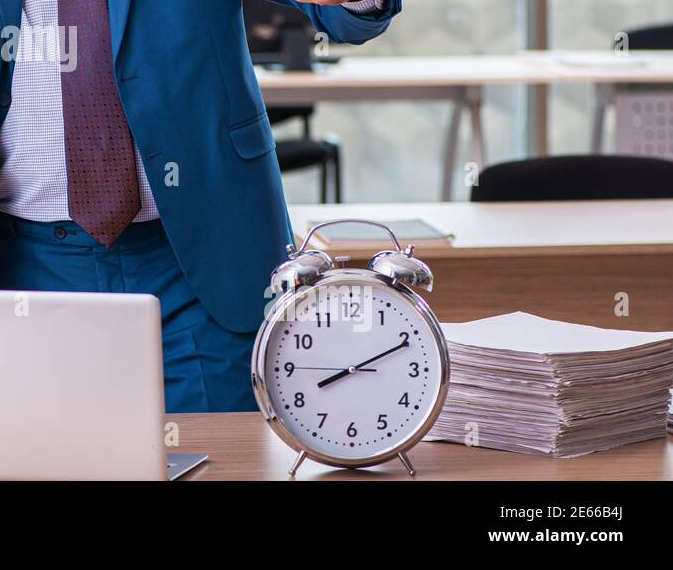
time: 8:10
